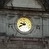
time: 9:40
